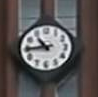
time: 10:44
